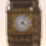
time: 4:04
